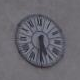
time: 5:30
